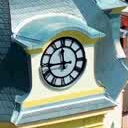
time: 11:44
